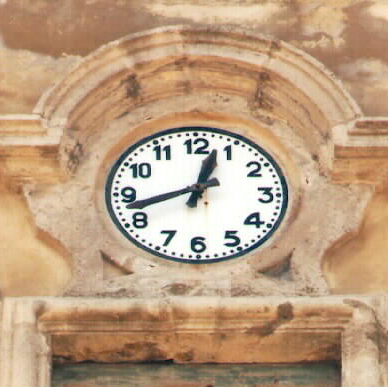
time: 12:42
